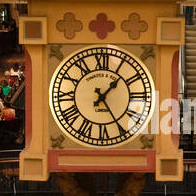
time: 1:24
